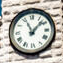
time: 11:07
